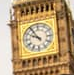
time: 9:54
